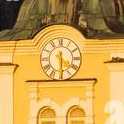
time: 4:29
